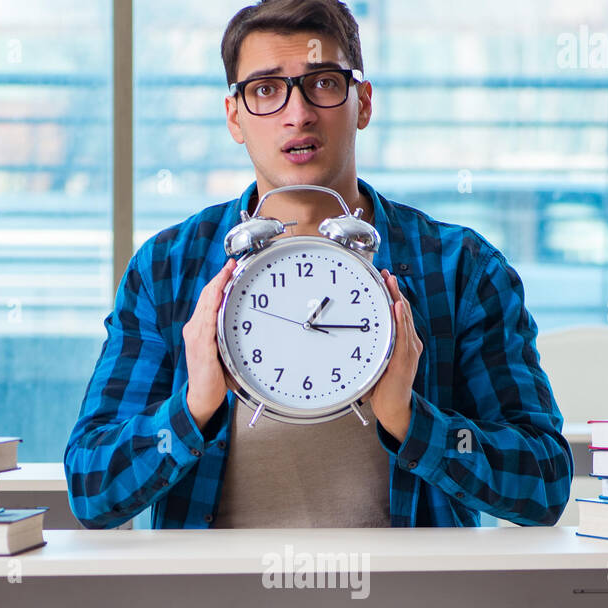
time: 1:15
